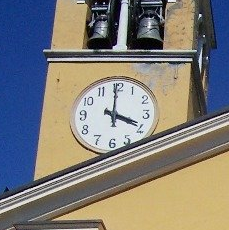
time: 3:59
